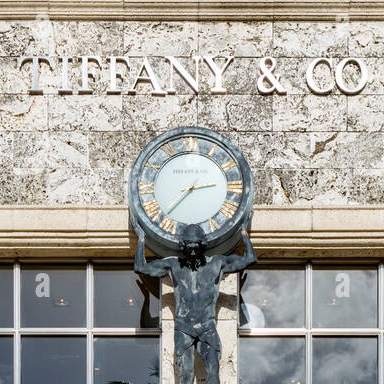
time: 2:37
